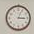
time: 3:04
